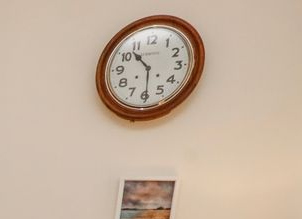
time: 10:29
